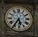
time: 5:35
